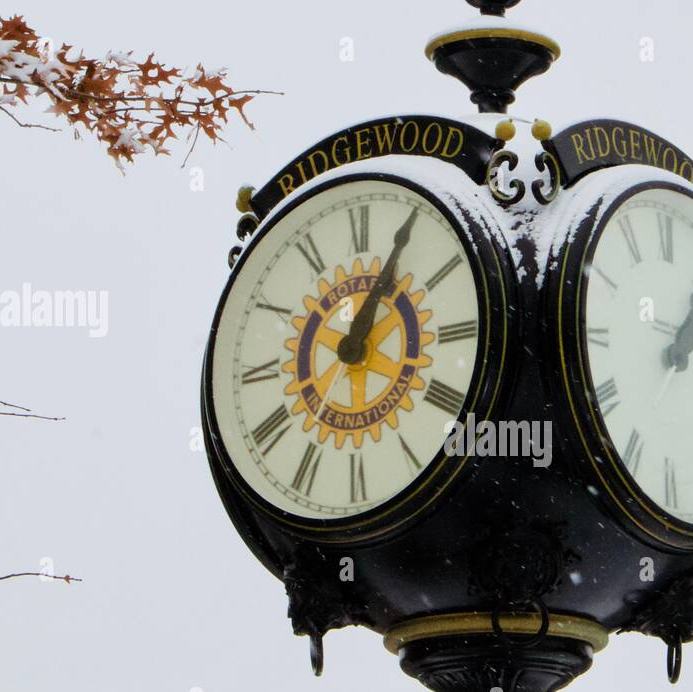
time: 1:05
